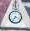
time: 7:18
